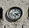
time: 4:13
